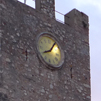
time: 8:06
